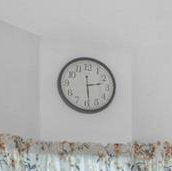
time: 2:29
